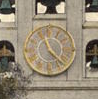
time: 11:22
